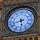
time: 5:42
